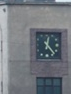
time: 12:23
